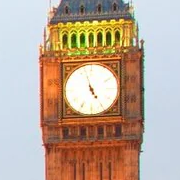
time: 4:57
